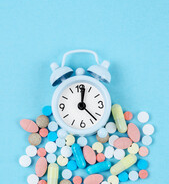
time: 12:22
